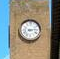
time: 3:13
